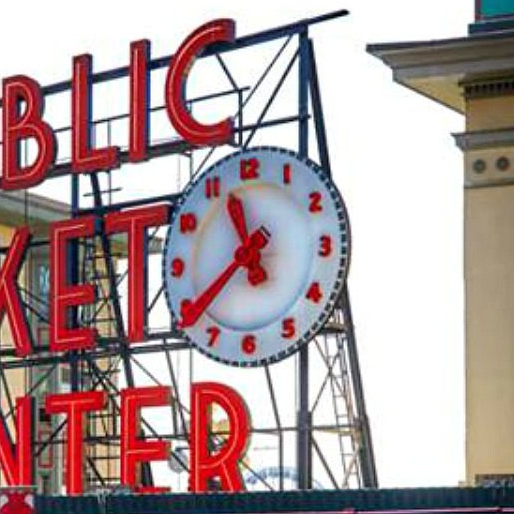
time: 11:39
